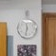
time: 11:32
